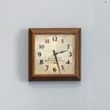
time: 2:27
